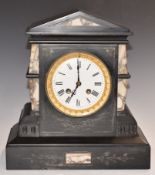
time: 7:00
